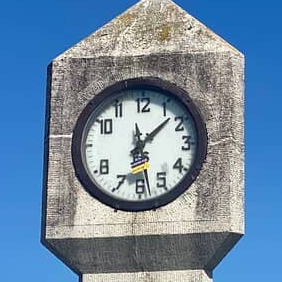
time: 1:28
